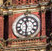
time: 11:31
